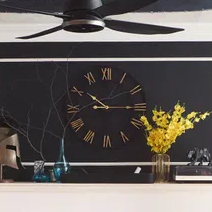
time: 10:14
